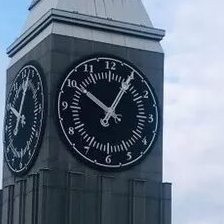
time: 10:05
